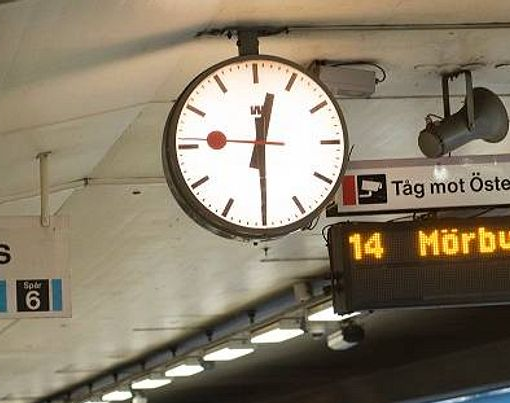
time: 12:29
